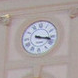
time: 3:17
